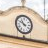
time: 10:49
